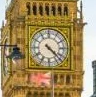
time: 4:22
